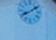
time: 8:09
